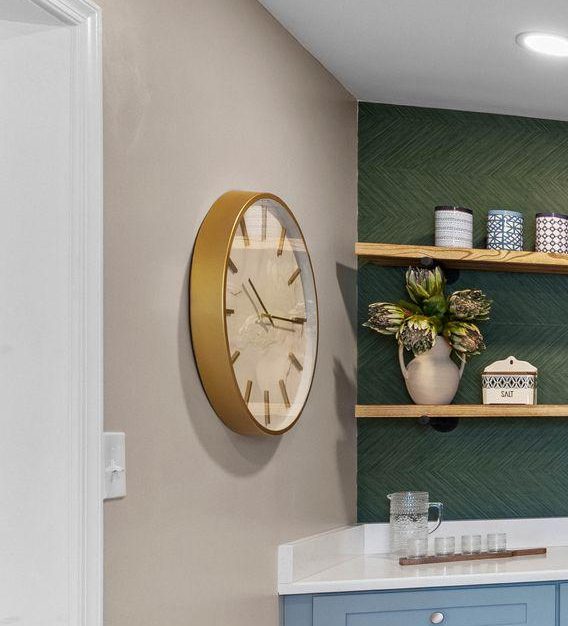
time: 10:15
